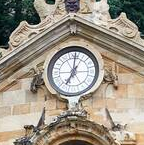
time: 7:00
